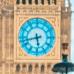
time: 5:42
